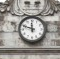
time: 11:48
